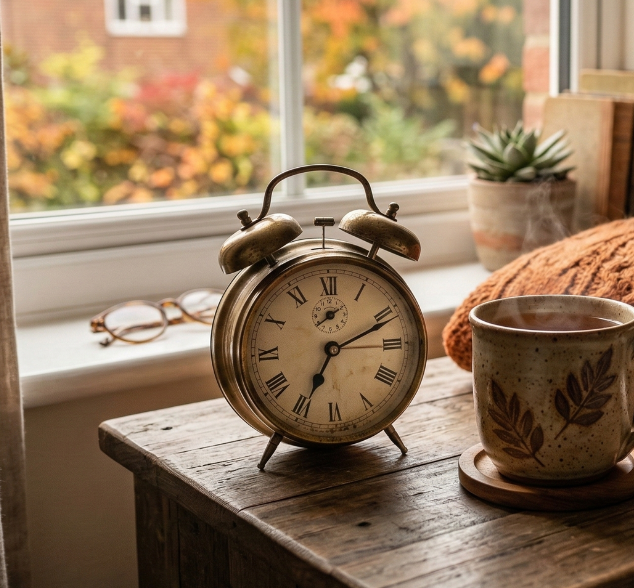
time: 7:11
